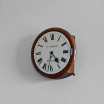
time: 4:31
